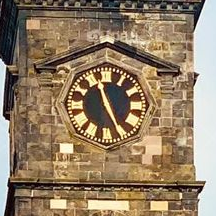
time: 11:25
